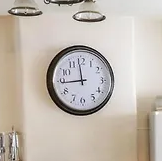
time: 11:44
